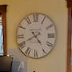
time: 4:40
